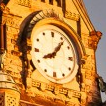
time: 8:06
